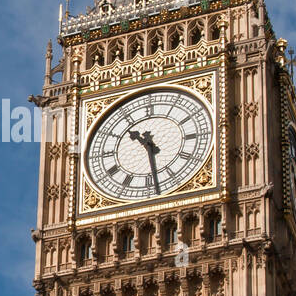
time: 10:28
